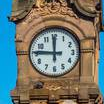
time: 11:46
